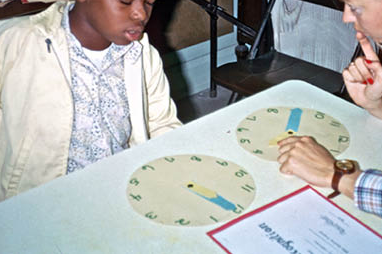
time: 4:20
